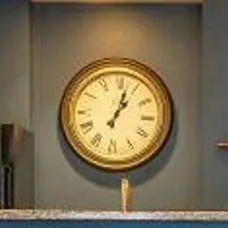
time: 1:02
